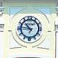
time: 10:45
